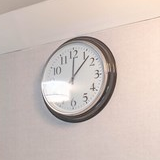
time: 12:07
